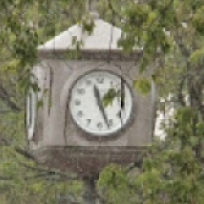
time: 11:26
